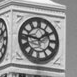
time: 1:46
